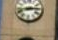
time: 2:42
